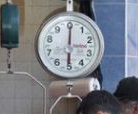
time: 6:00
